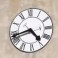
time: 4:42
